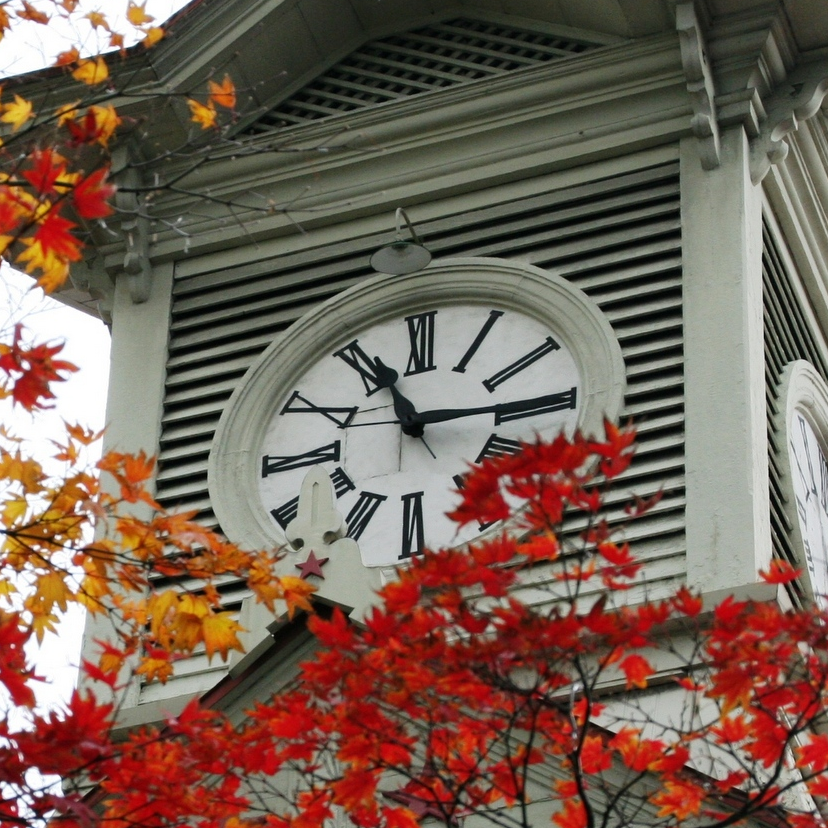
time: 11:14
